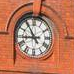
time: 8:54
